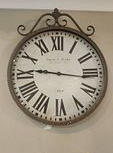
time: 9:16
